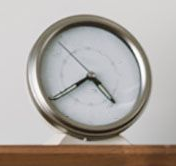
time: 4:39
